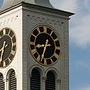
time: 8:33
